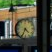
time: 4:34
